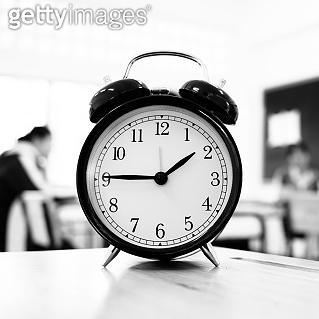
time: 1:45
